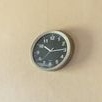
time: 10:14
